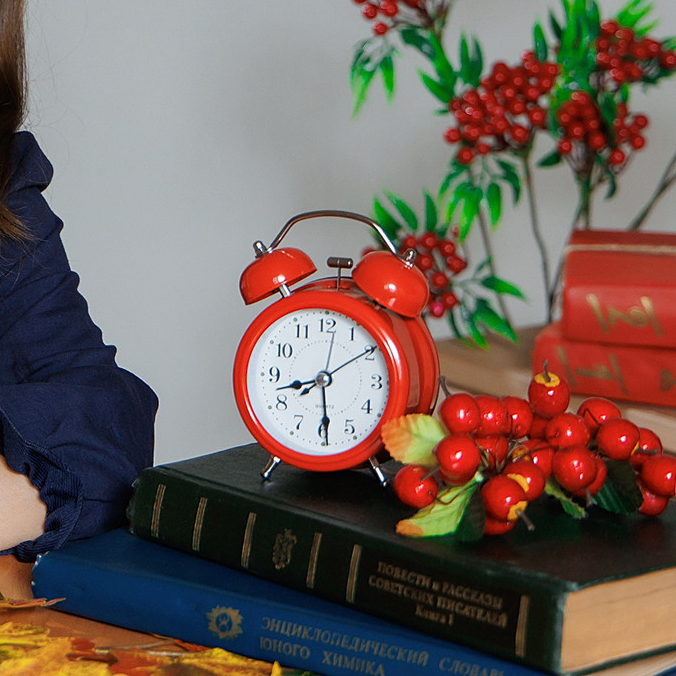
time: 8:29
